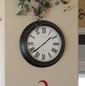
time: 1:38
